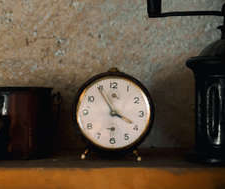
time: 3:54
